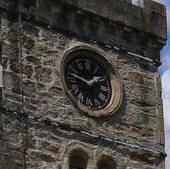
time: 1:47
